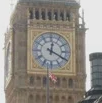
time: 12:19
